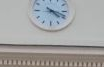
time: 4:18
